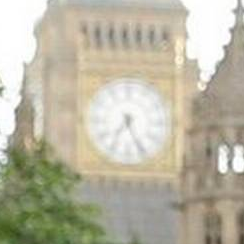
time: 7:25
